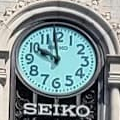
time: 9:59
